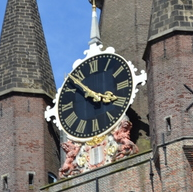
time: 3:52
